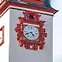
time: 4:41
